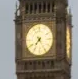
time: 7:24
